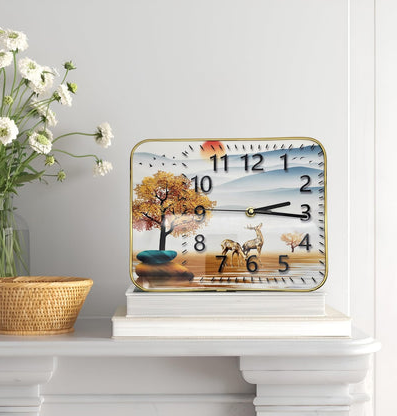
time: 2:15
